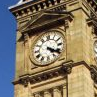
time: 4:20
